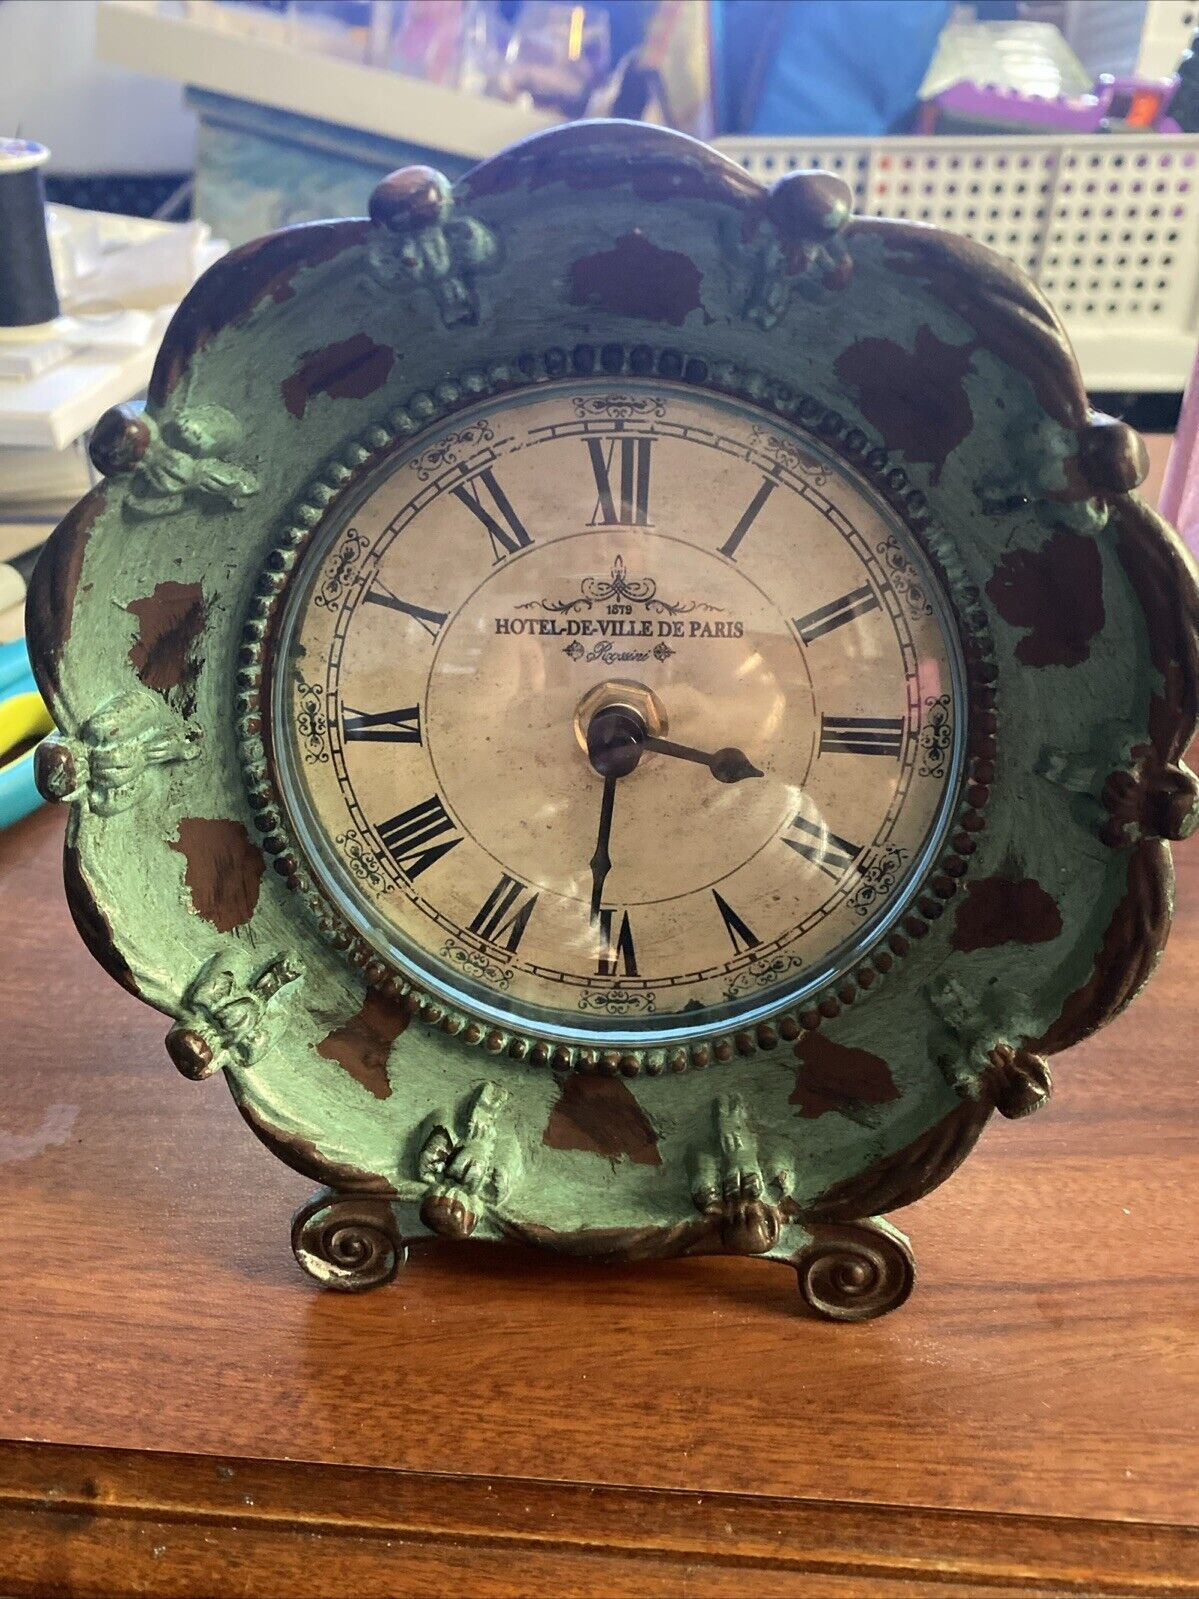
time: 3:30
